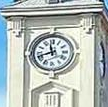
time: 11:41
